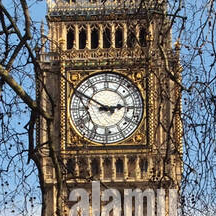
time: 2:50
